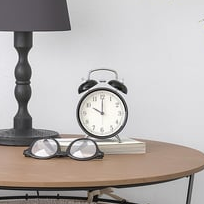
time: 10:00
